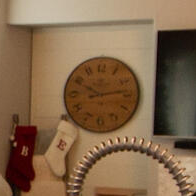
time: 10:13
